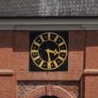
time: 3:28
